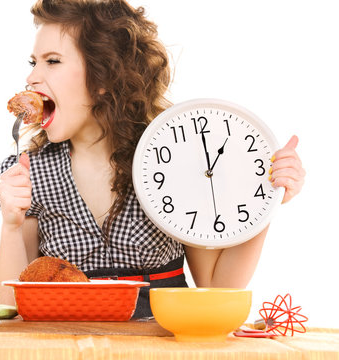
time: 1:00
